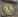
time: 11:22
